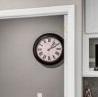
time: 2:06
